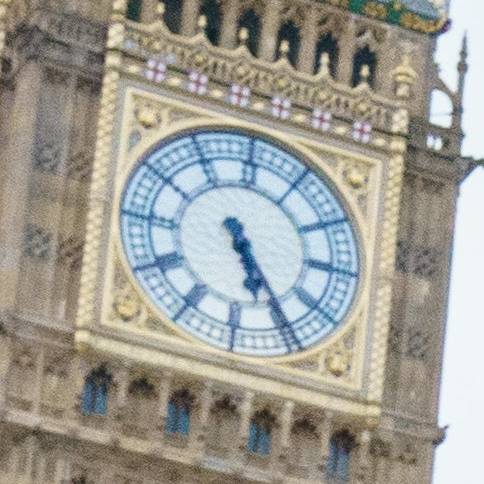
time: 5:24
